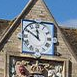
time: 11:50
